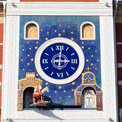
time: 3:01
